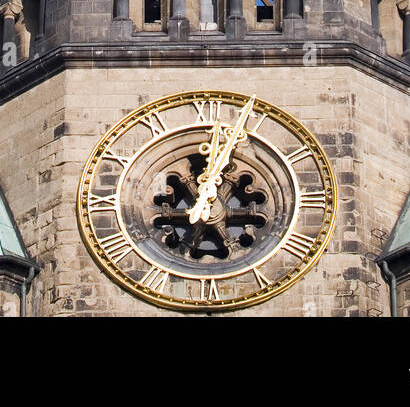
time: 12:26
